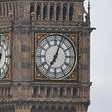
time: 7:03
